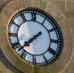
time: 7:37
